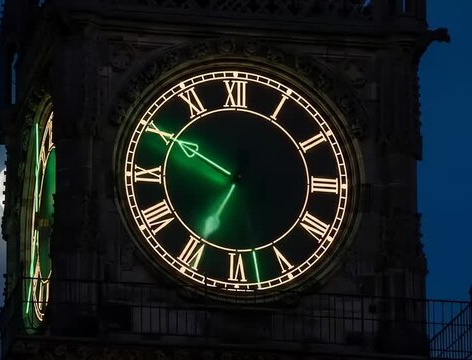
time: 6:50
